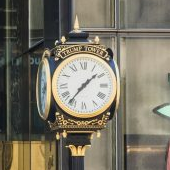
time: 1:36
